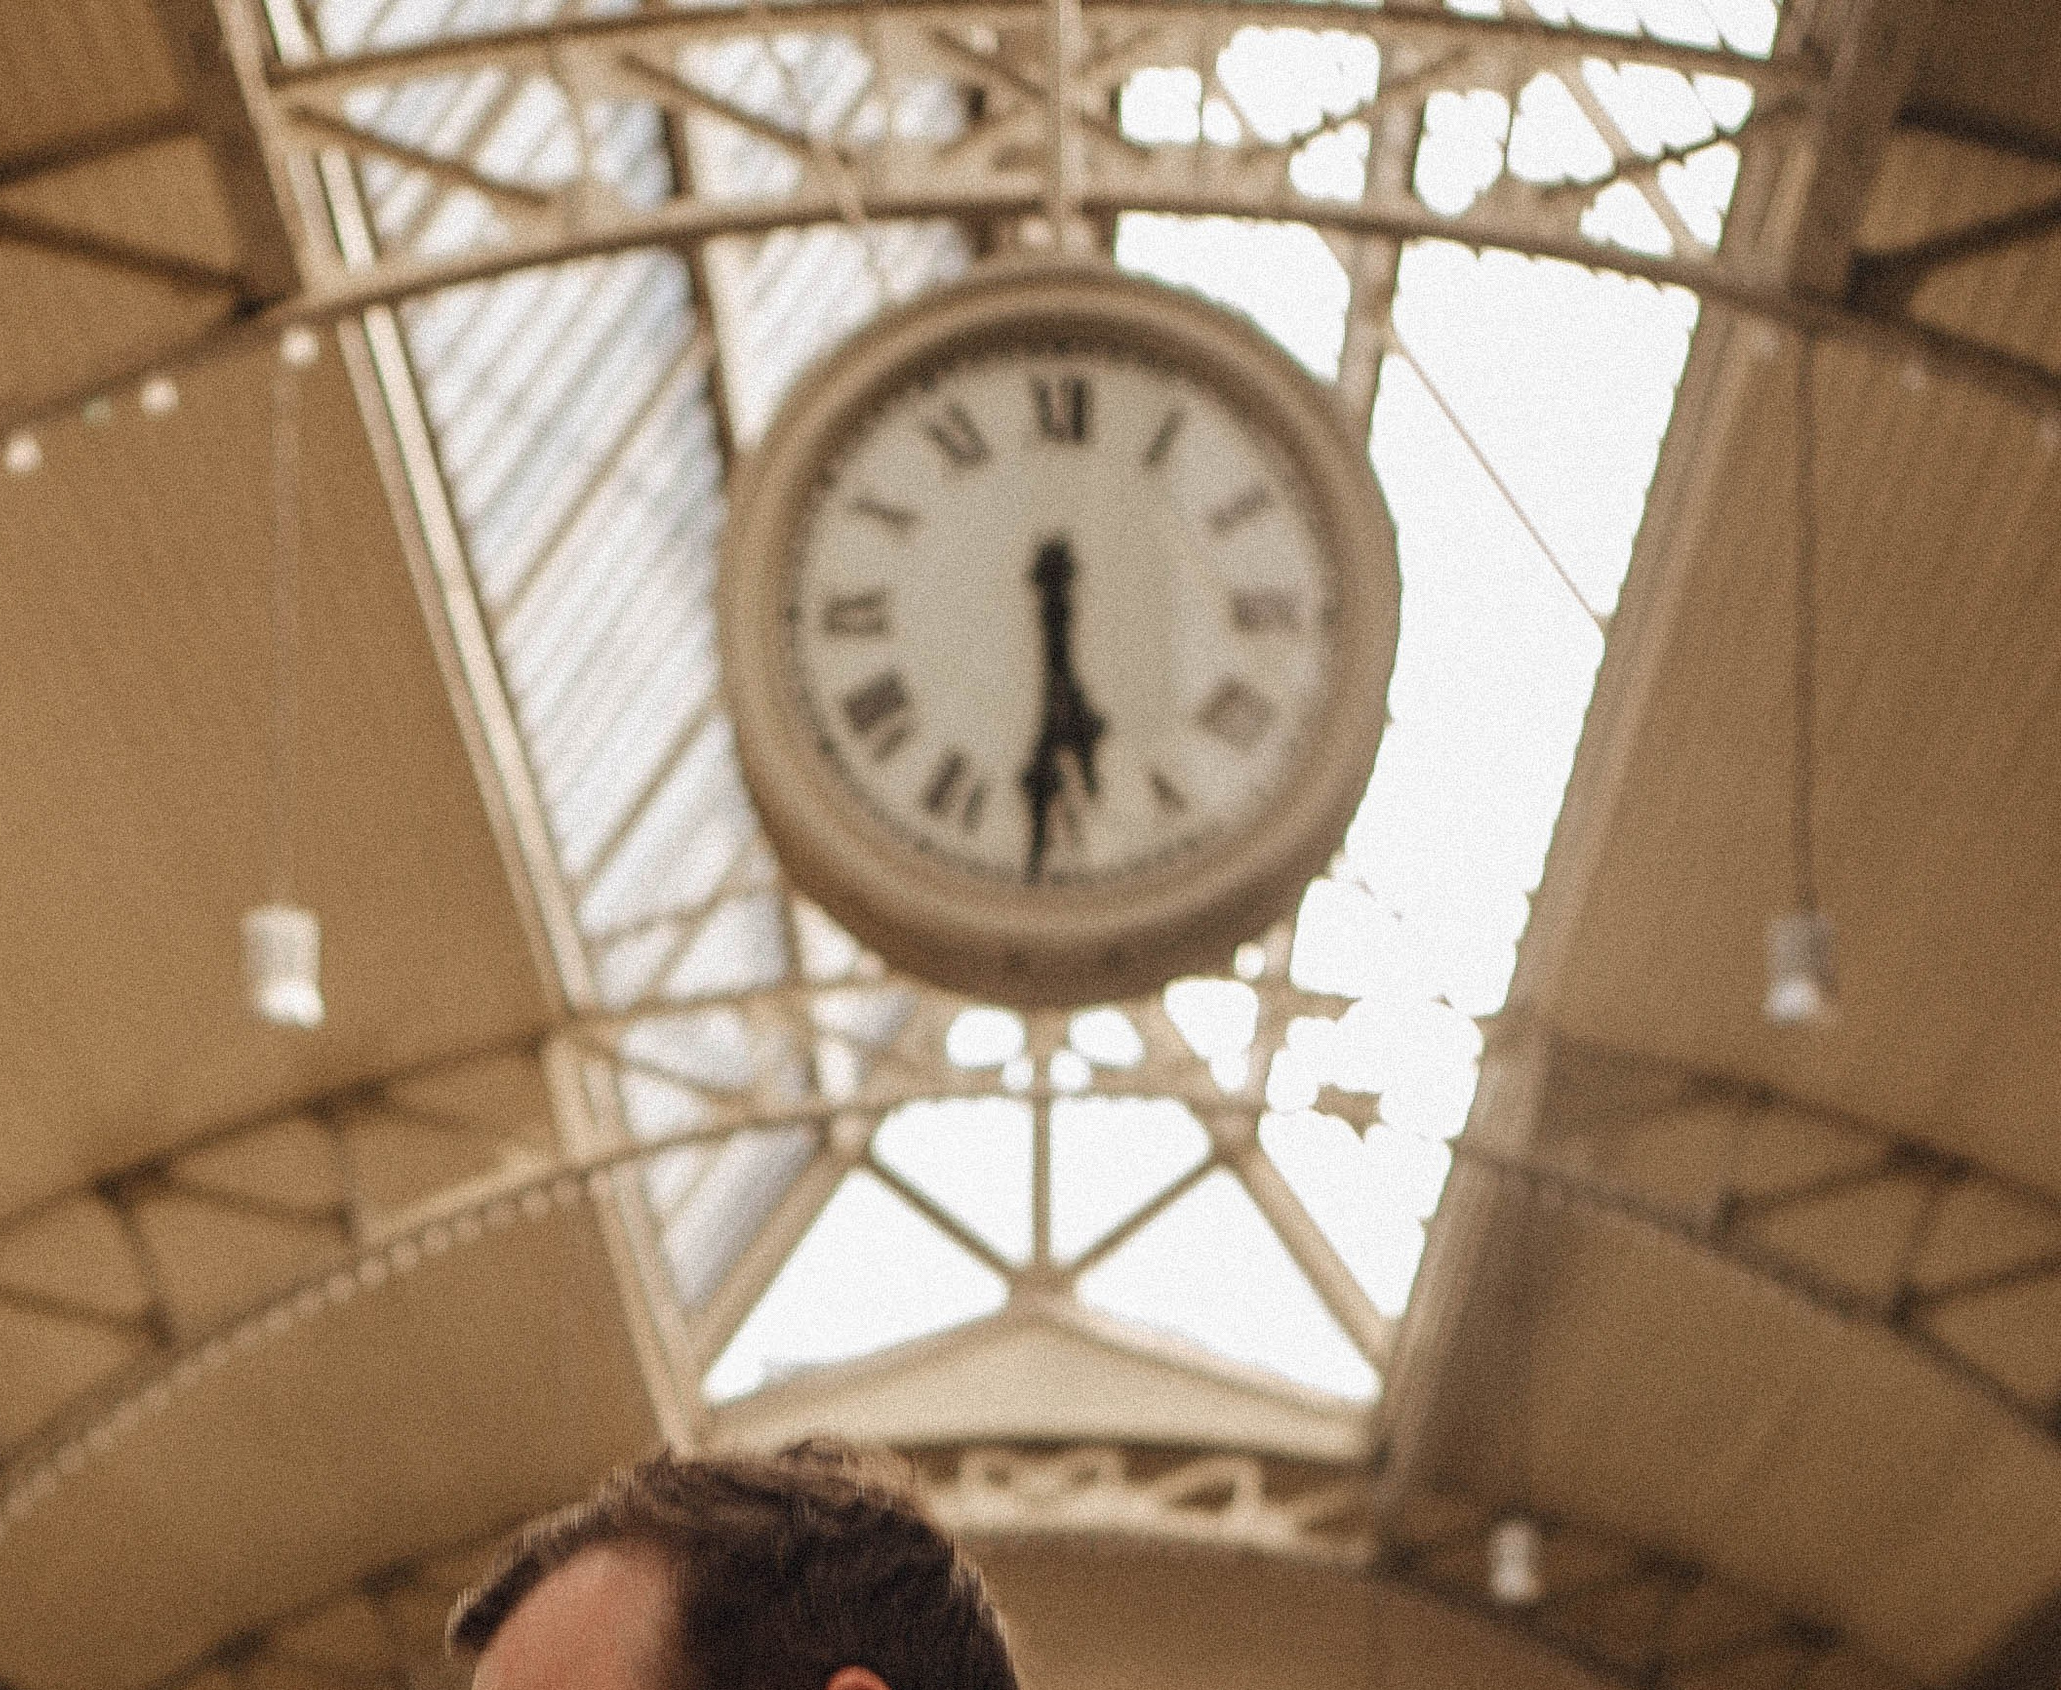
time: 5:30
